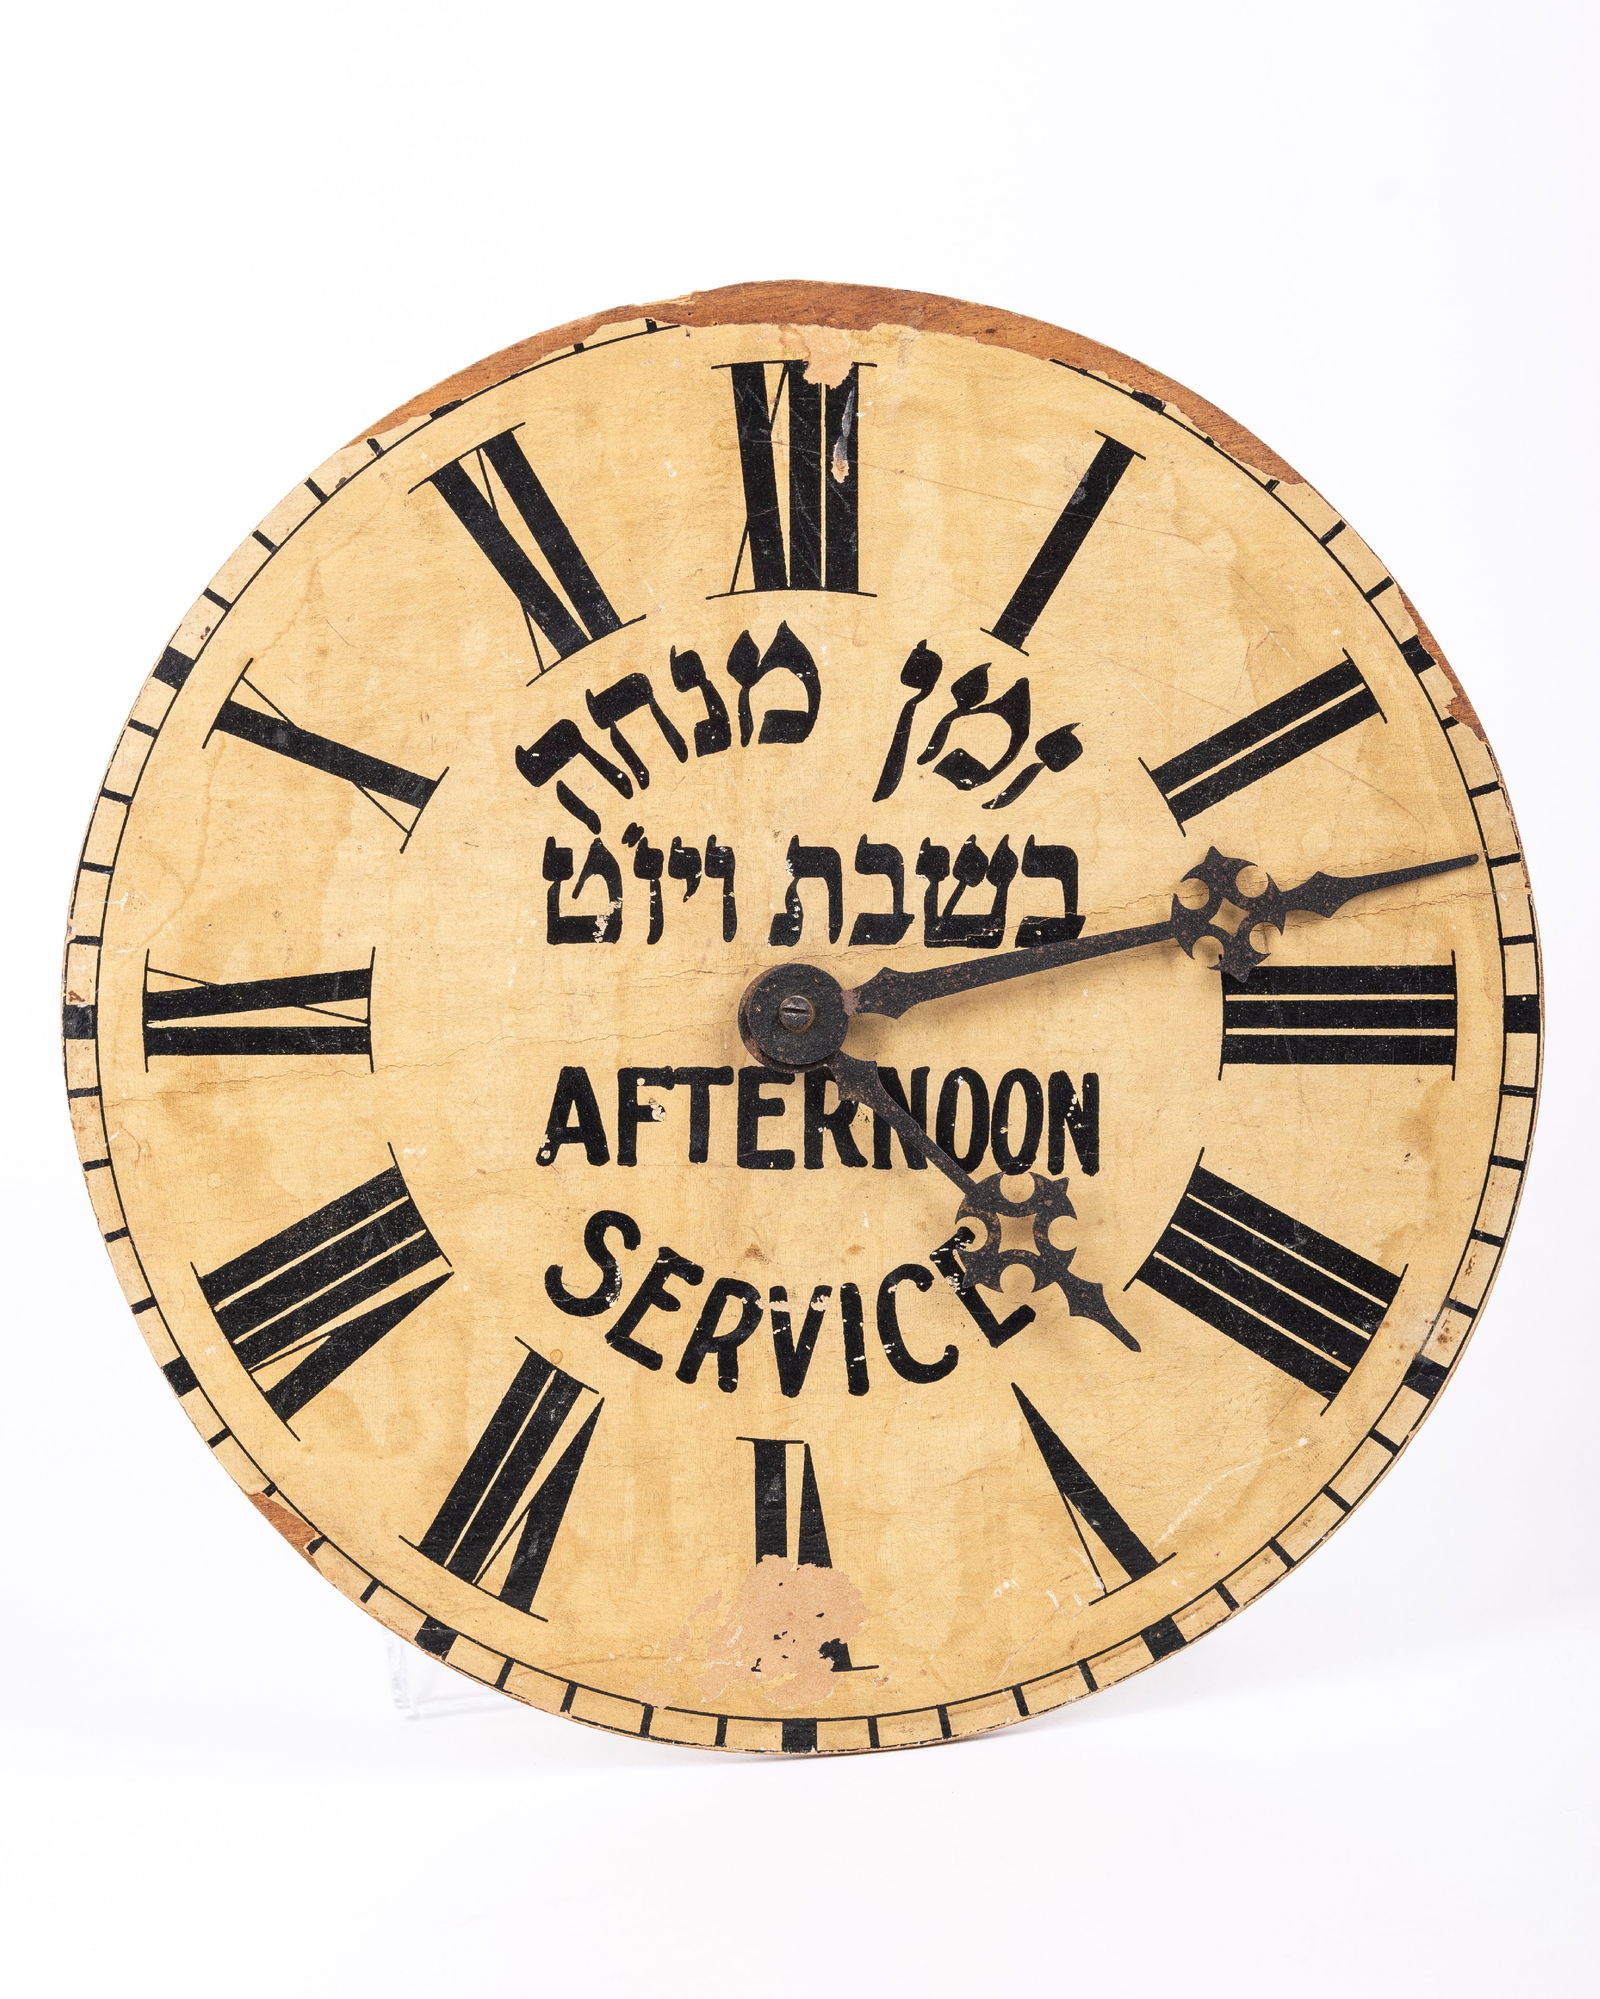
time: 4:12
